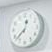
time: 12:37
